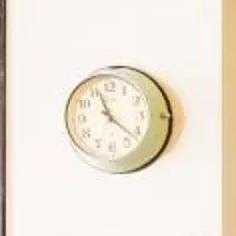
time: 11:21
